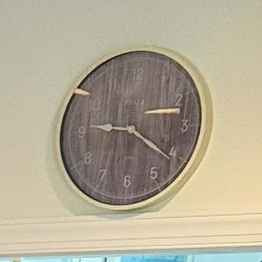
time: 9:20
